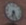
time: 6:25
